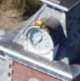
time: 12:37
